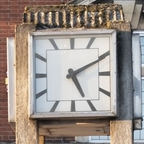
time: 5:10
